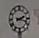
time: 2:18
